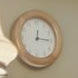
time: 12:15
